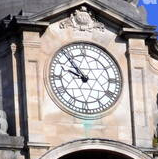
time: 9:53
